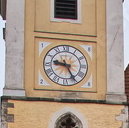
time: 9:25
